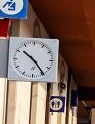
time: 10:24
